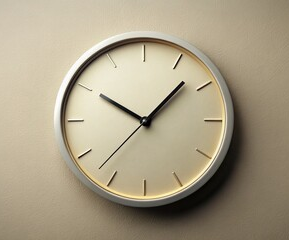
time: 10:07
